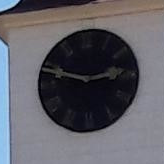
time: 2:48
